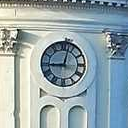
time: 9:02
